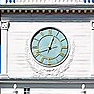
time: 12:41
